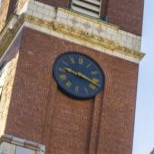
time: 9:17
